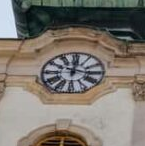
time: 12:16
